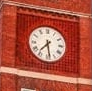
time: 7:28
